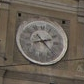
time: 2:22
